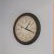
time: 1:18
